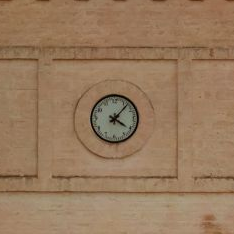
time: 4:07
